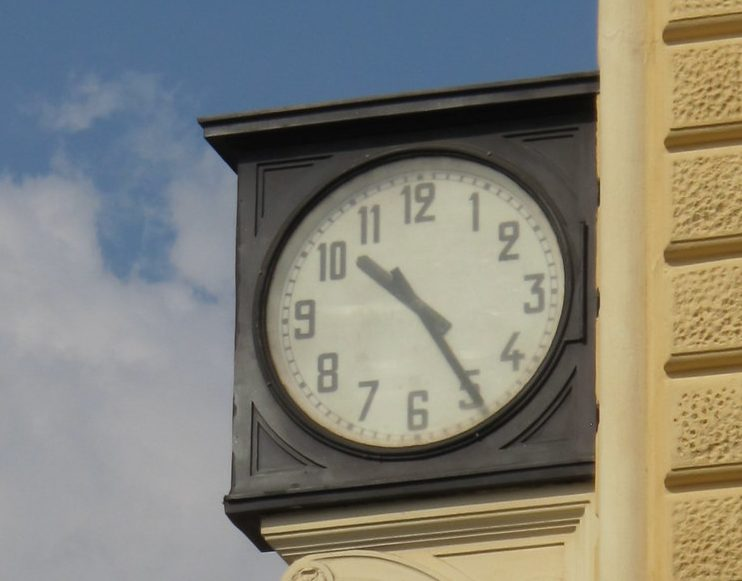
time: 10:24
